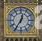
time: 12:35
